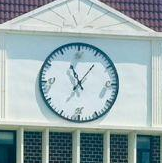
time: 11:06
